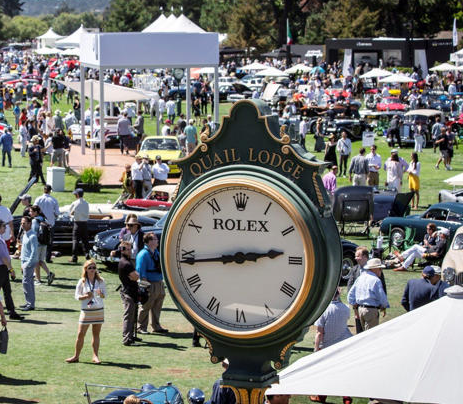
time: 2:43
